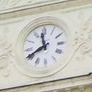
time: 11:40
